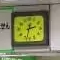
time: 2:32
